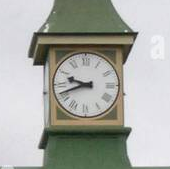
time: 9:41
